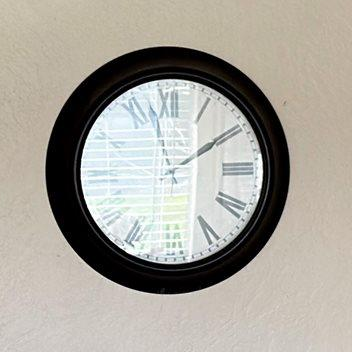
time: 1:57
